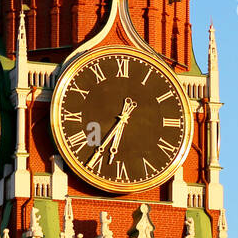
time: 6:36
